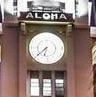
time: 6:38
